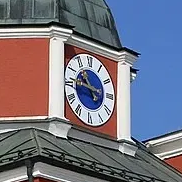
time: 10:46
